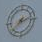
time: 2:37
